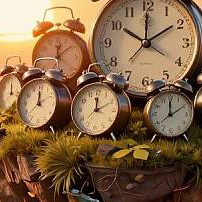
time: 12:10
